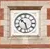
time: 10:27
